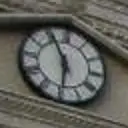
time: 5:55
